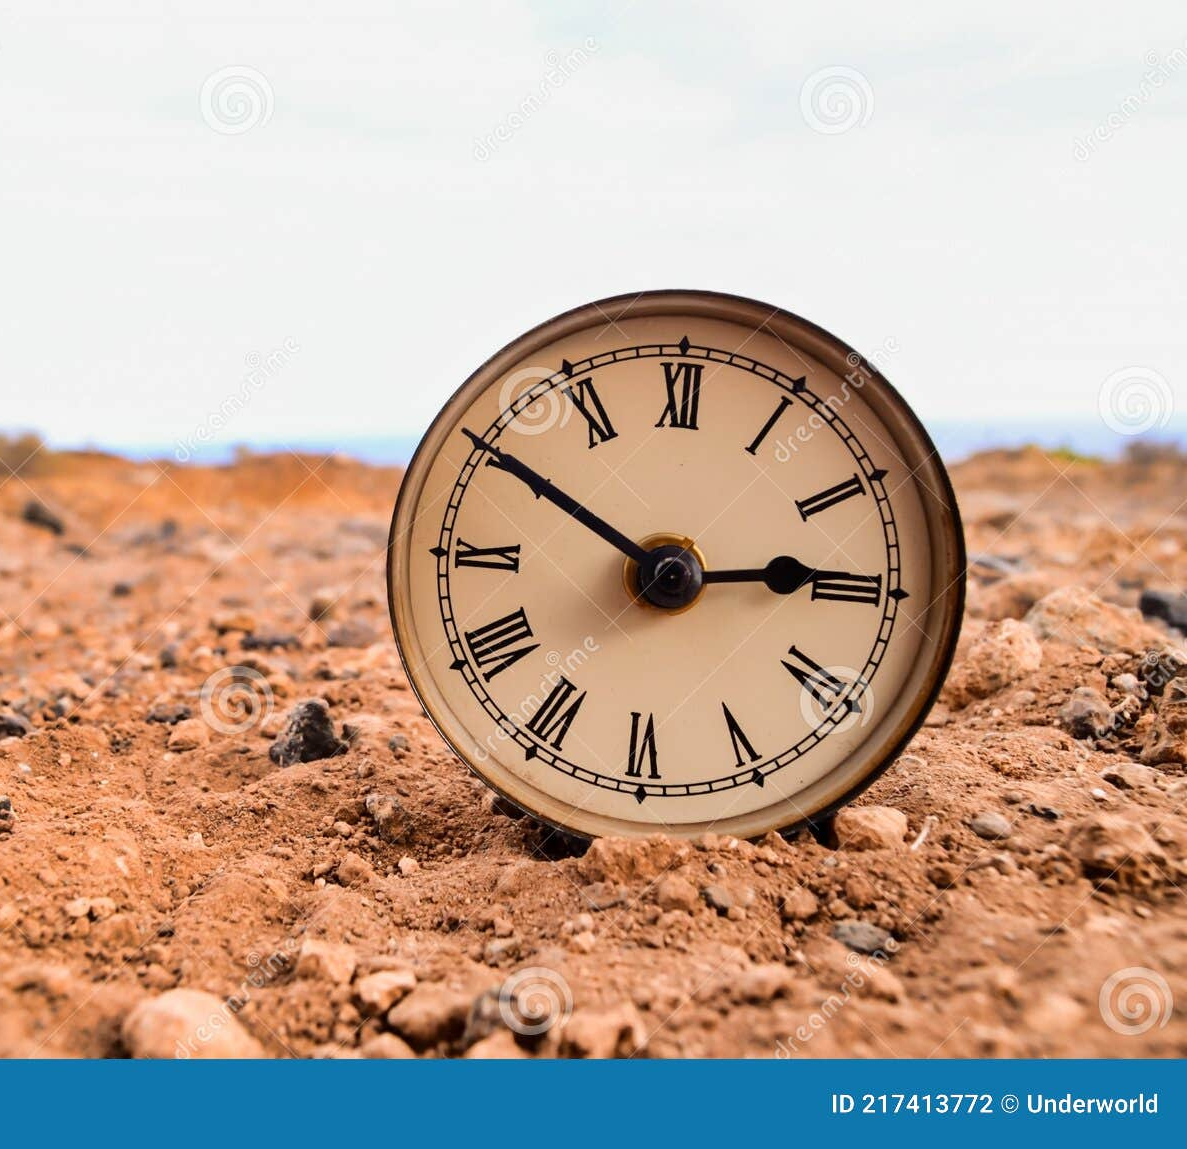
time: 2:50
